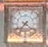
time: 7:21
